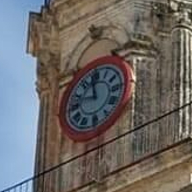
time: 11:48
